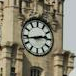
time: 2:43
